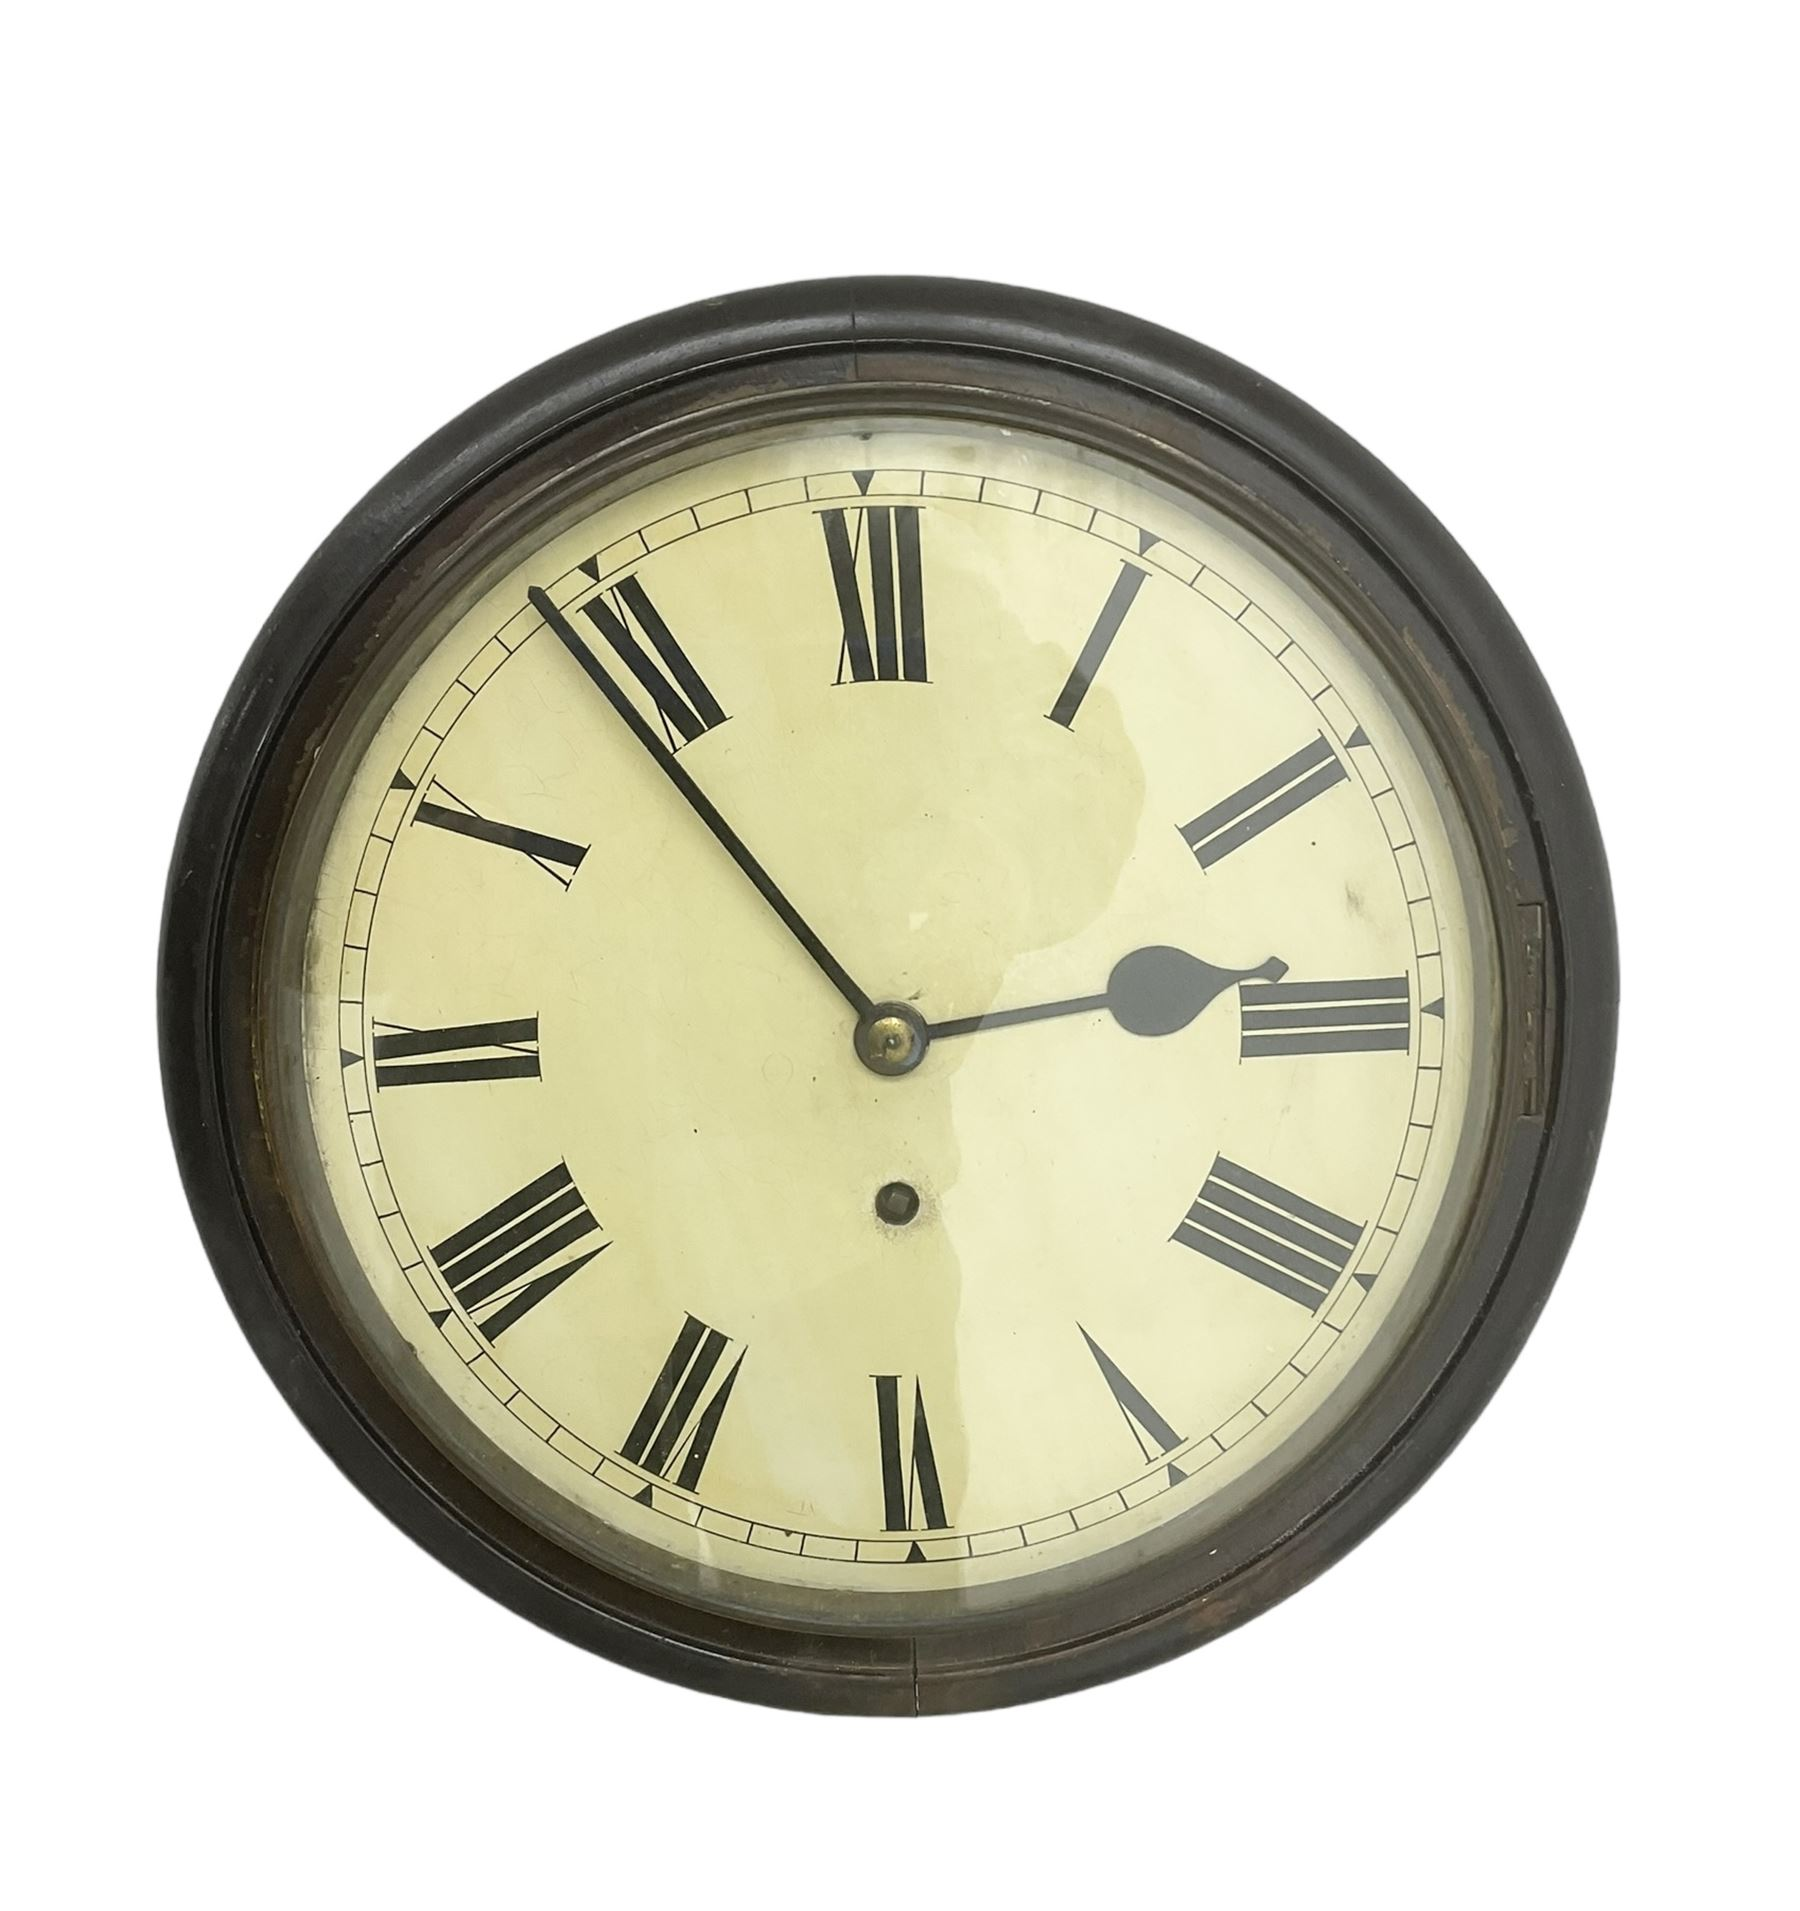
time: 2:53
